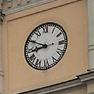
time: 8:49
